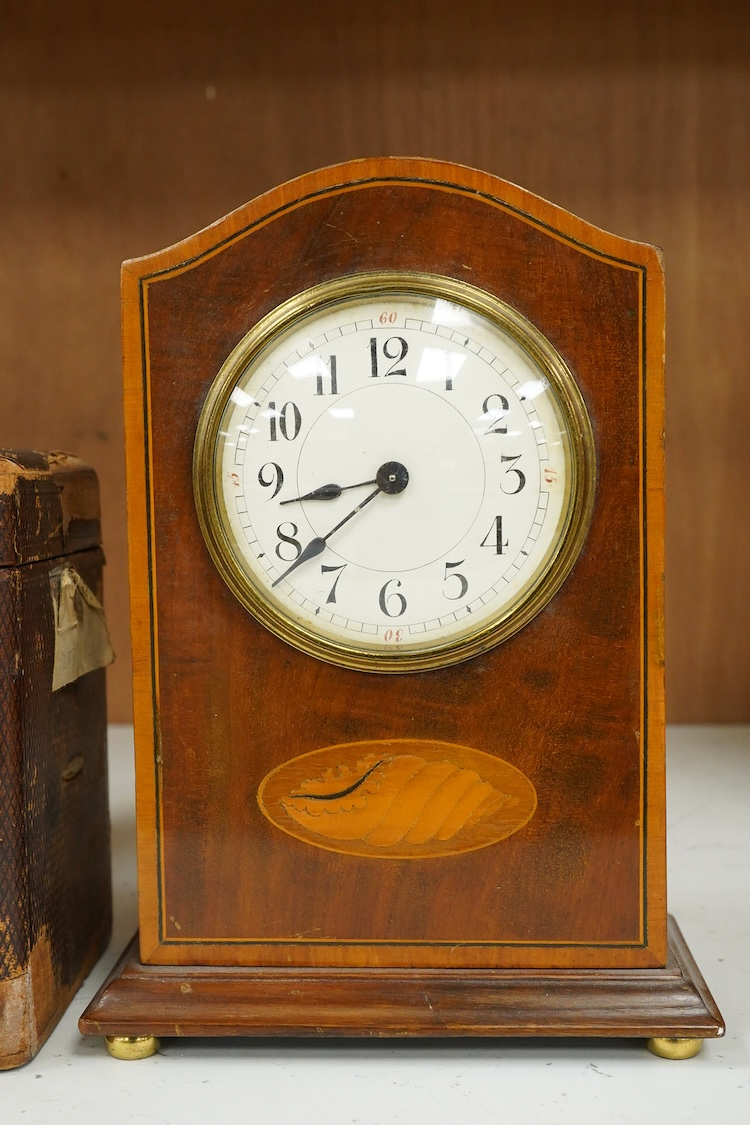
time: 8:38
